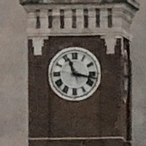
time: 11:17
